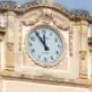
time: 11:54
